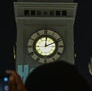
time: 12:11
